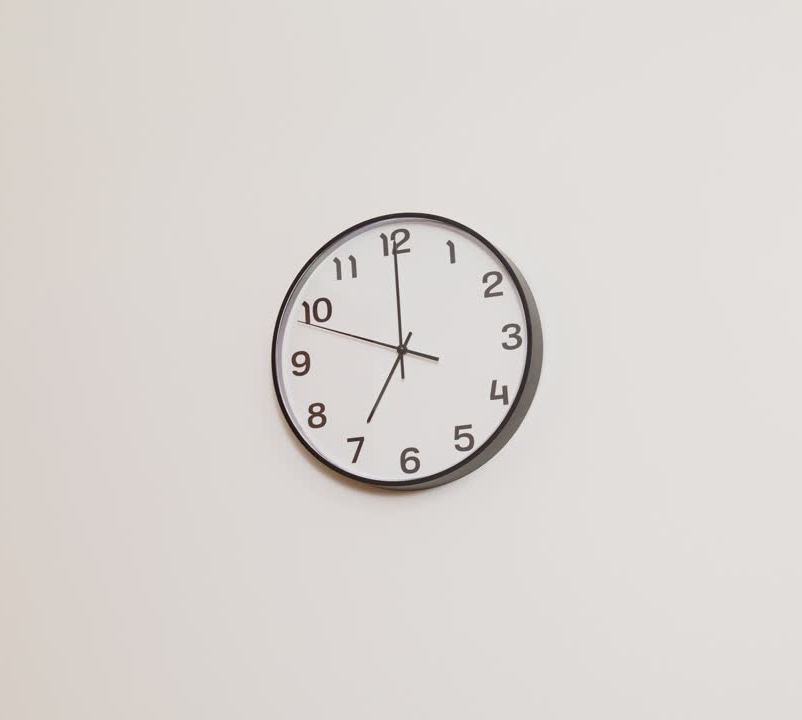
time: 6:59
